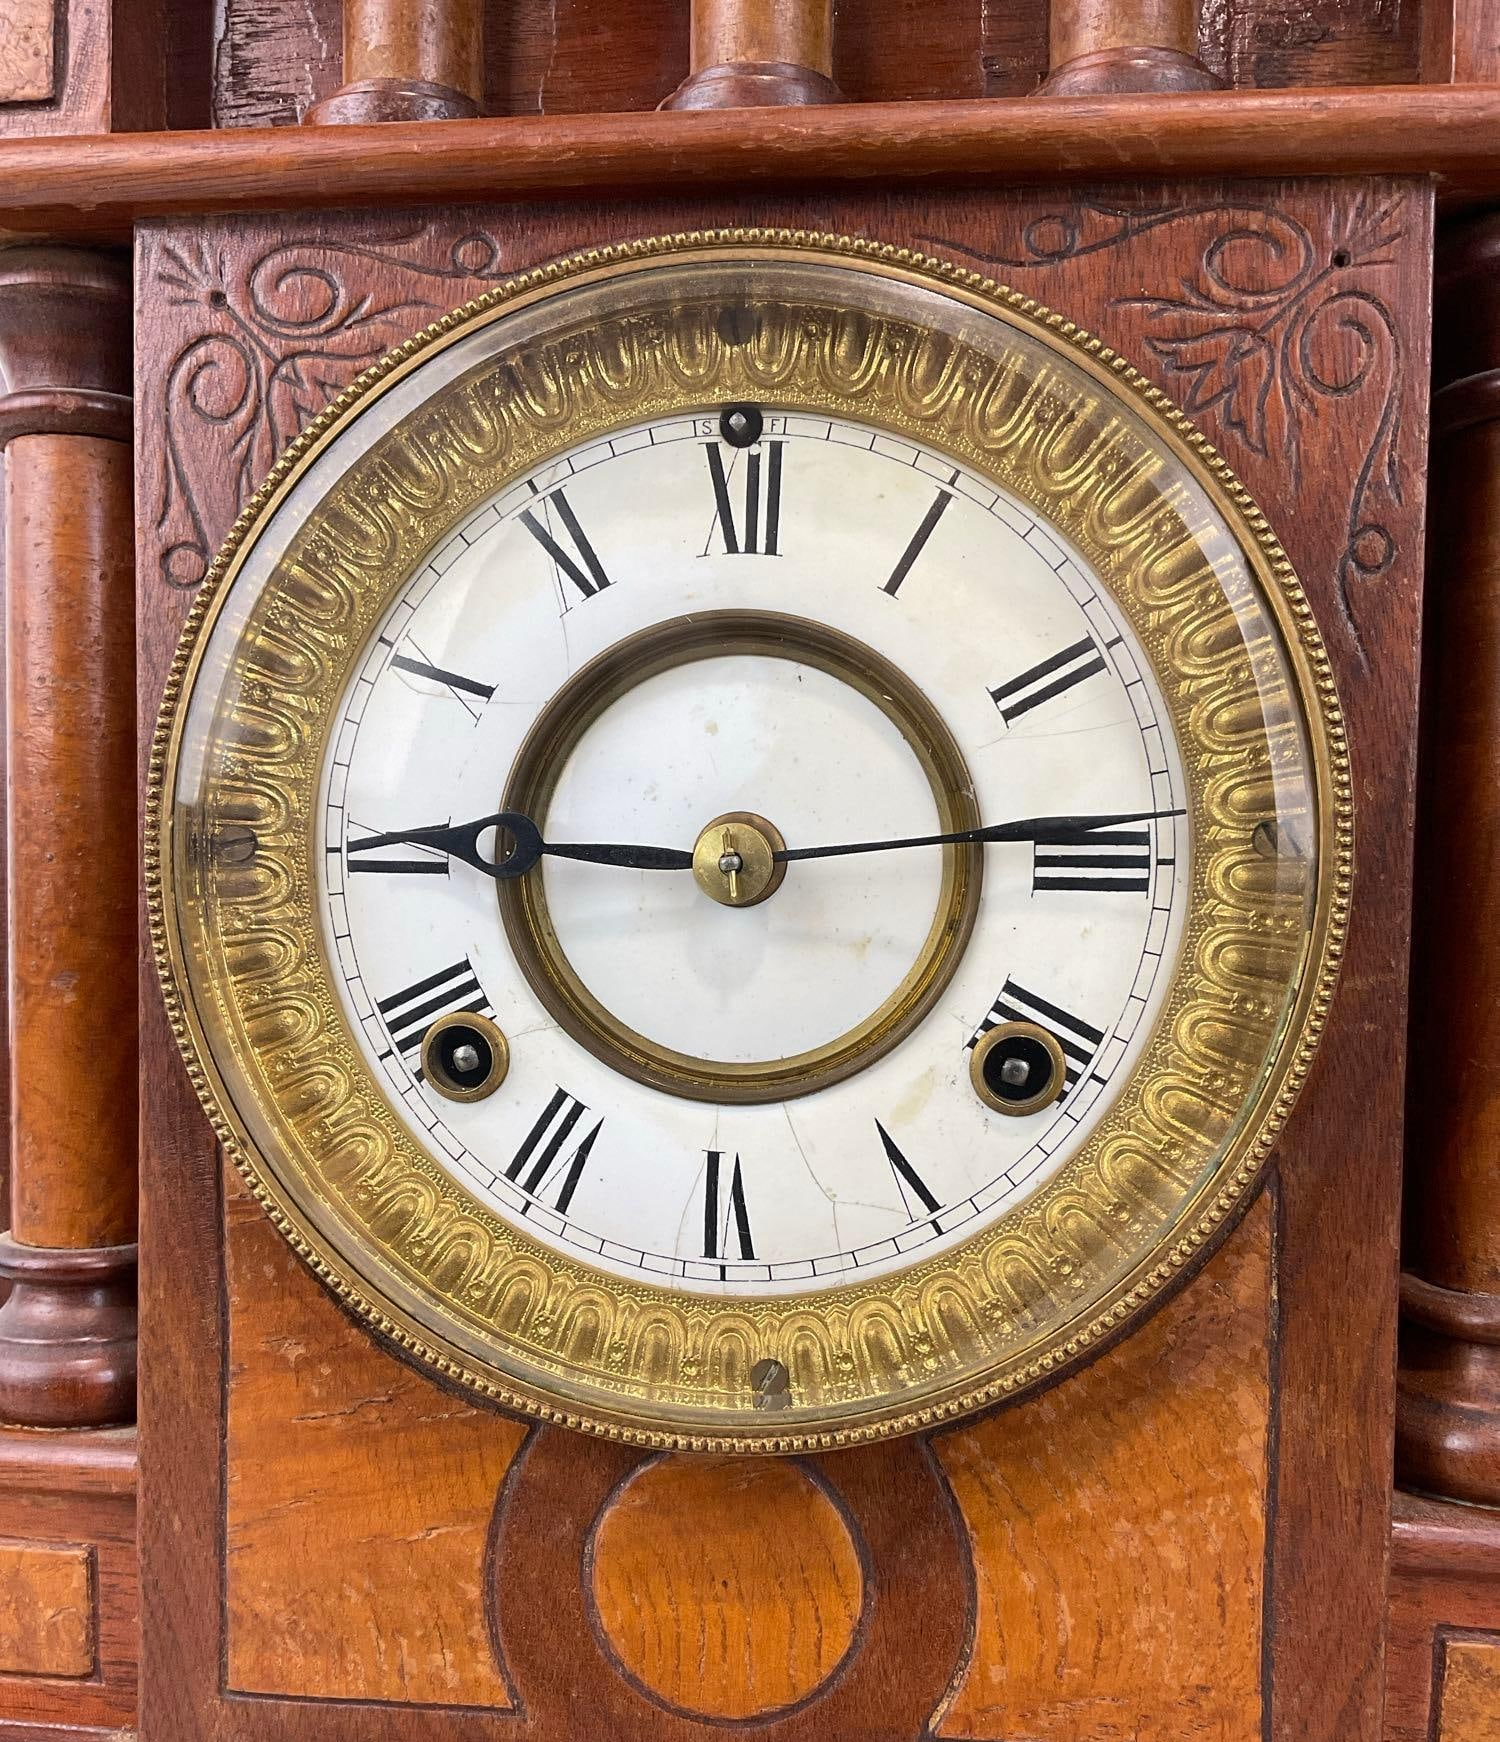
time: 2:45
